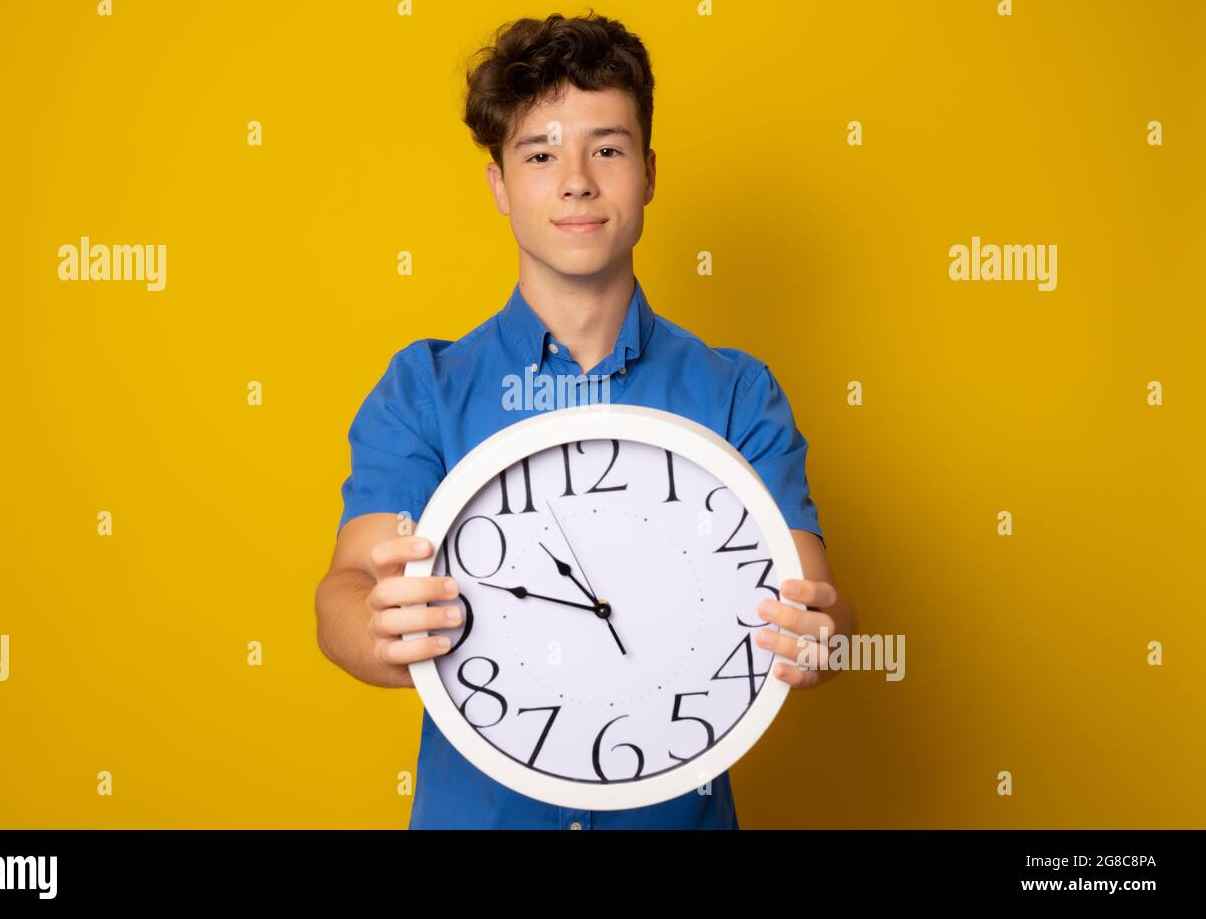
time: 10:47
